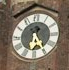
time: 12:24
